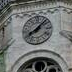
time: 8:07
